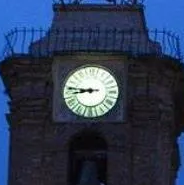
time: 8:46
